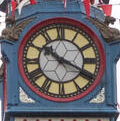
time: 10:19
